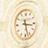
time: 3:27
